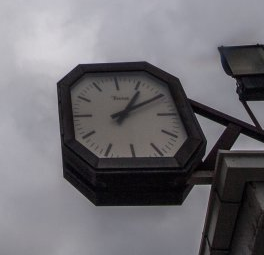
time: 1:10
